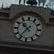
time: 10:36
